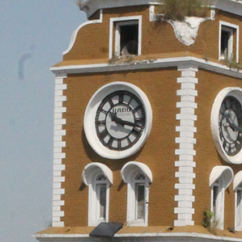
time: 10:17
